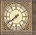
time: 7:39
